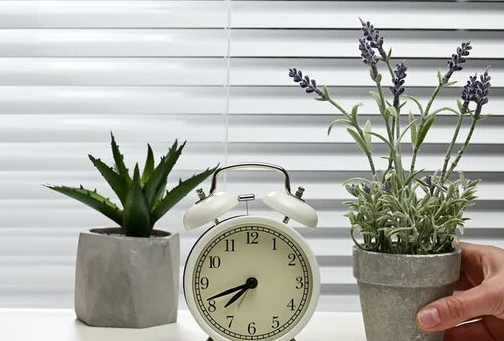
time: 7:41
